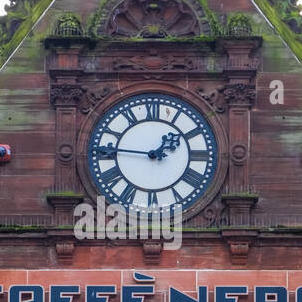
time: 1:46
